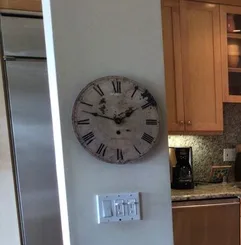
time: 1:47
